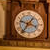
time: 3:36
